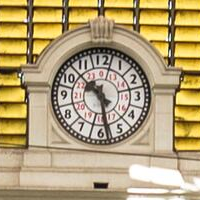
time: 10:28
